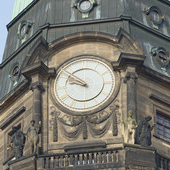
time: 9:51
